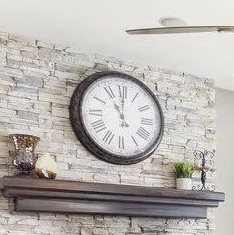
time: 11:00
